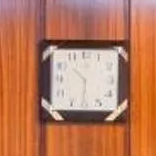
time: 10:30
